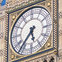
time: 5:36
